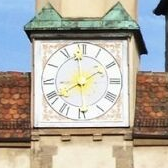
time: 1:58
